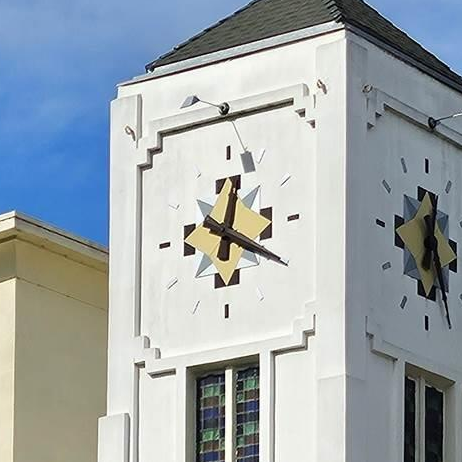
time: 12:19
